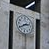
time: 2:40
